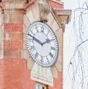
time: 1:47
